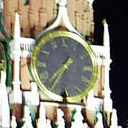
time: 7:35
